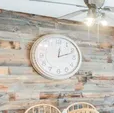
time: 12:11
